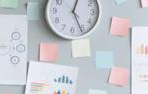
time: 12:25
